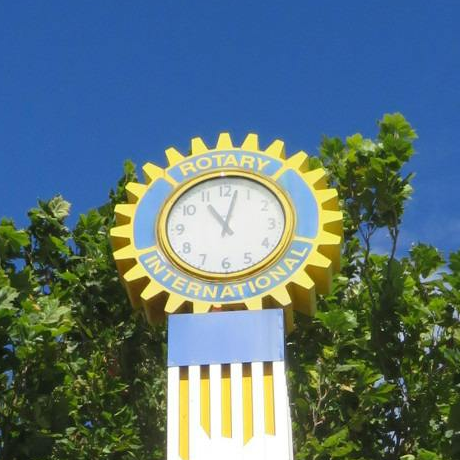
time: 11:02
